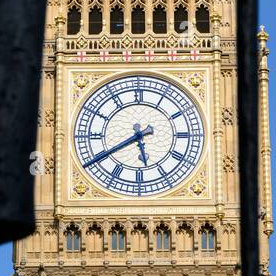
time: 5:40
